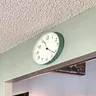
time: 11:21
